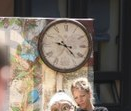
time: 9:22
